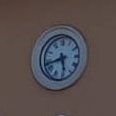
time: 5:42
